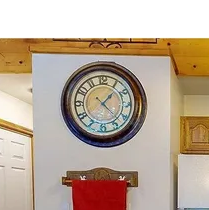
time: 1:22
